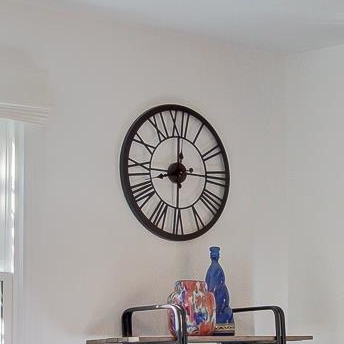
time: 7:59
